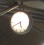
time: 5:40
